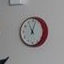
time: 11:02
